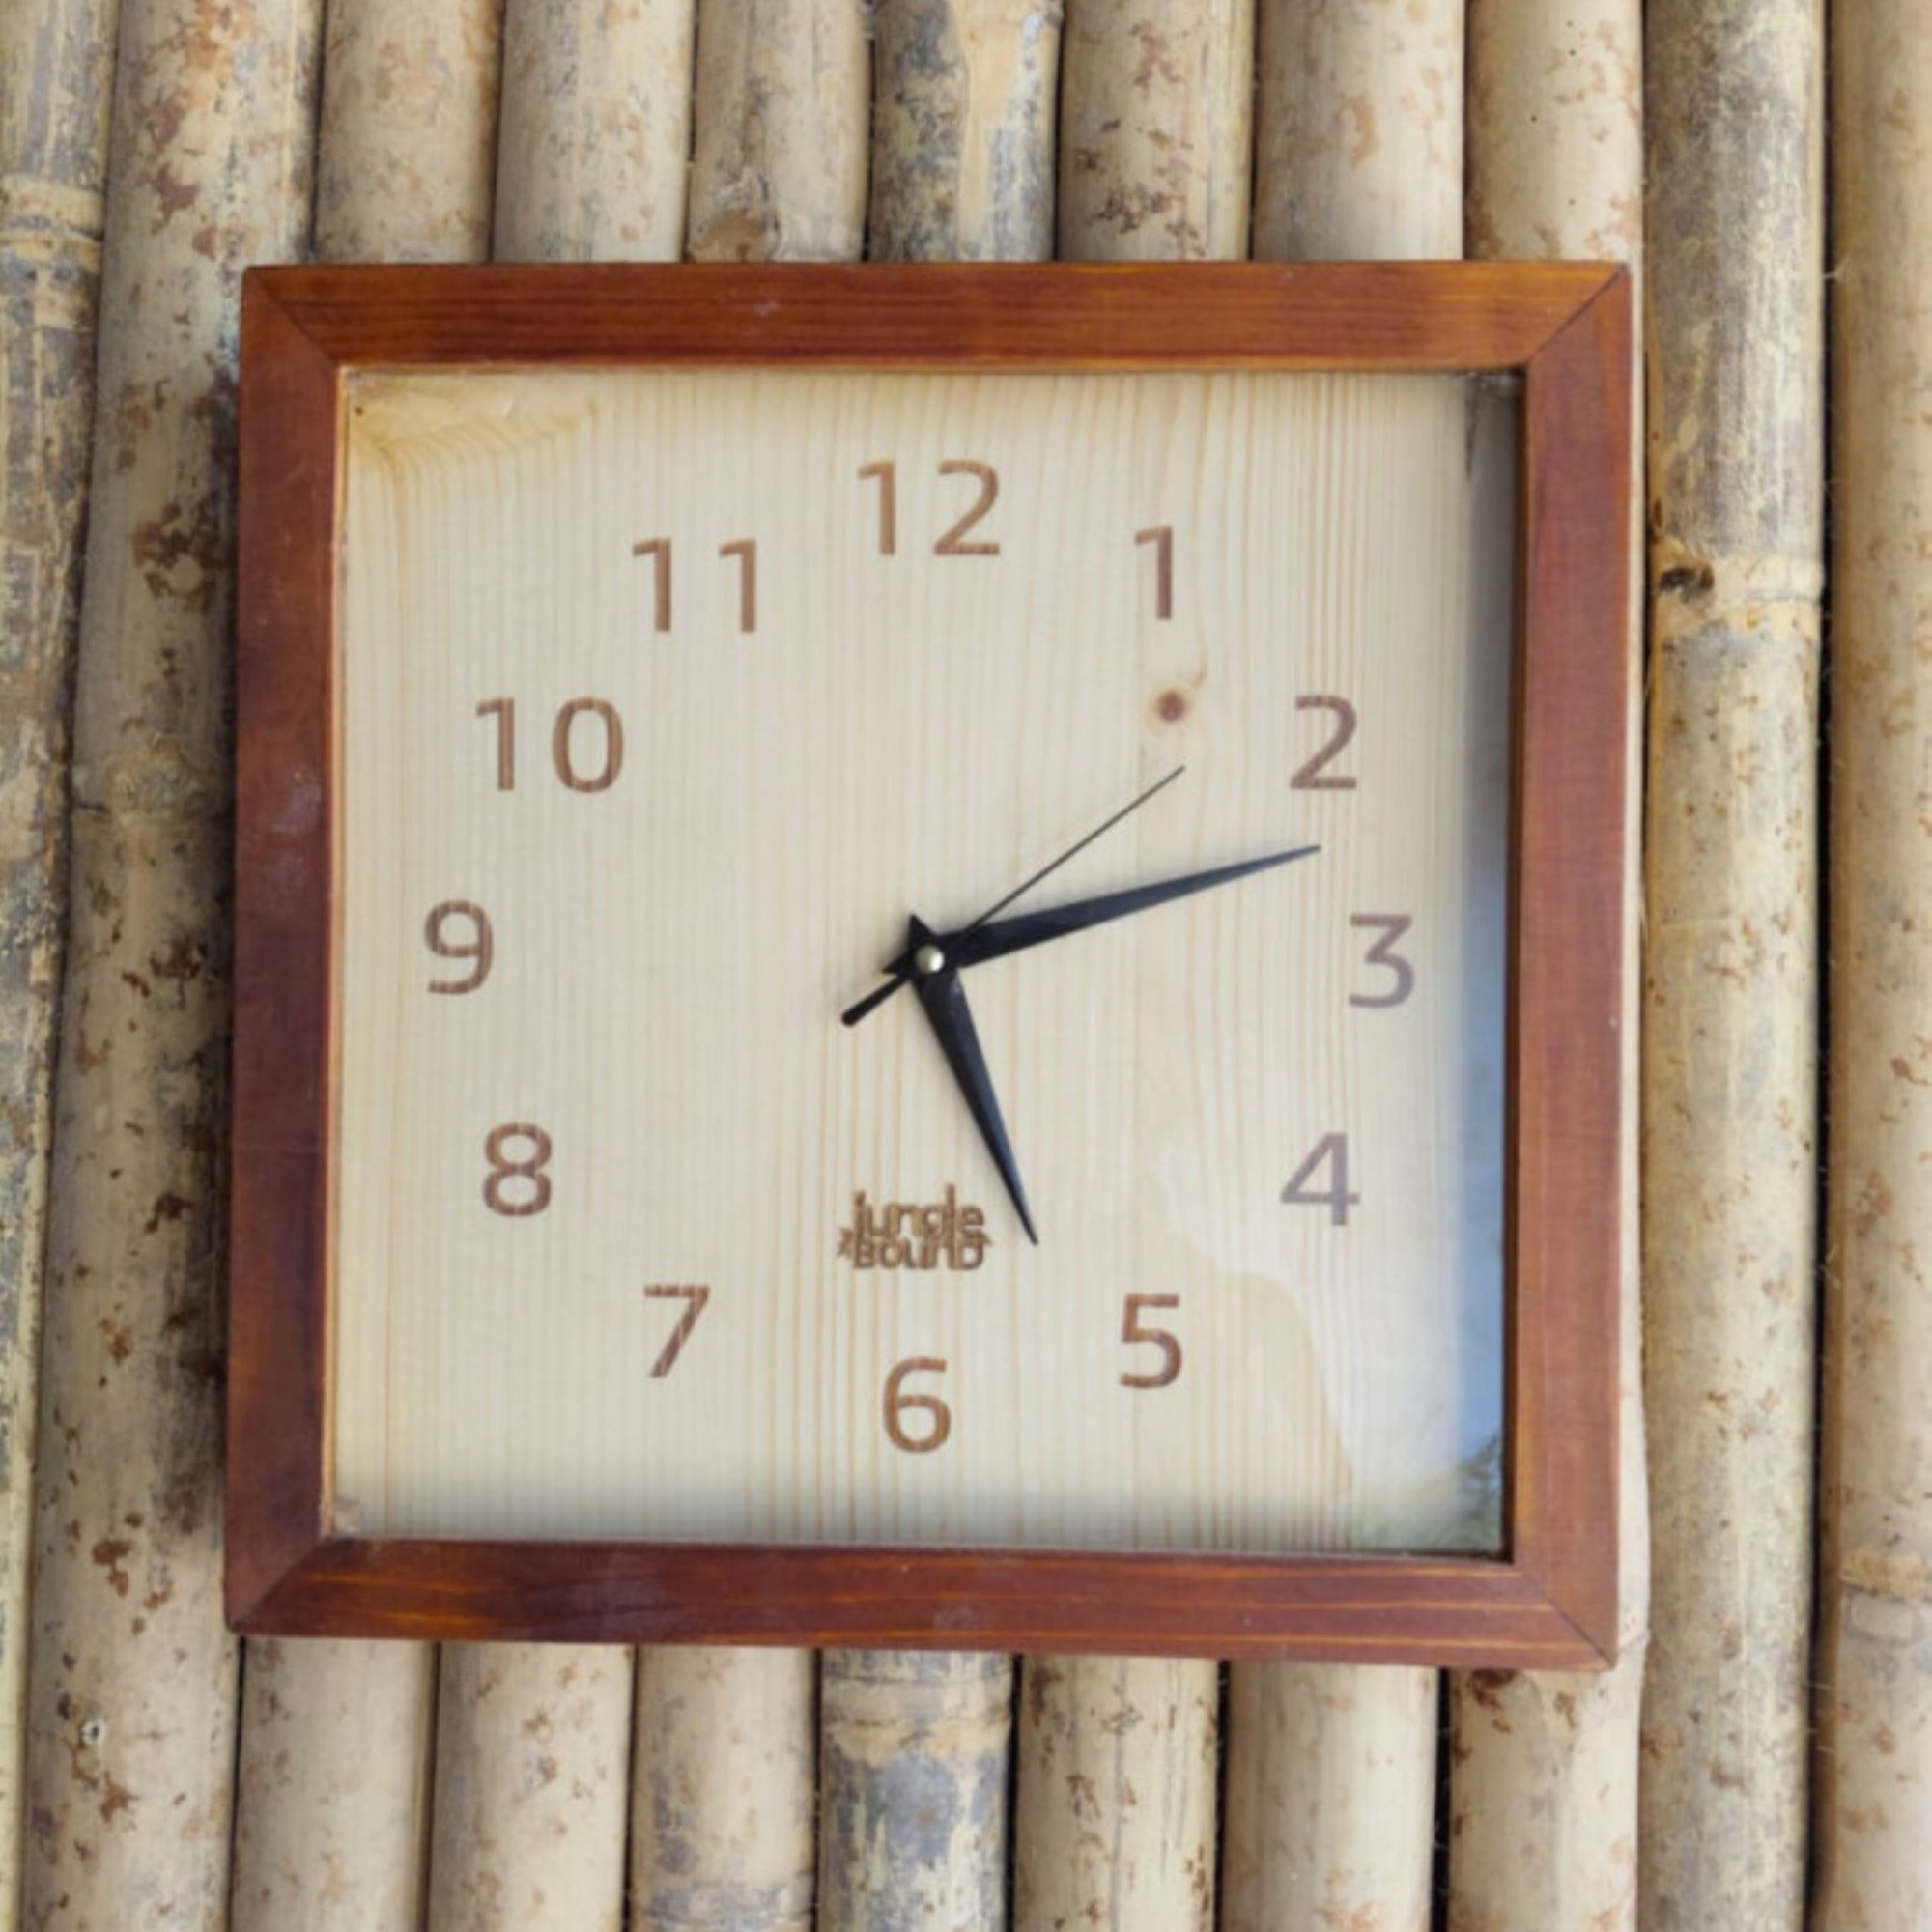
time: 5:12
